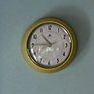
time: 10:45
